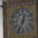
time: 12:34
